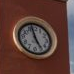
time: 4:57
